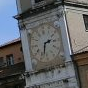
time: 2:33
